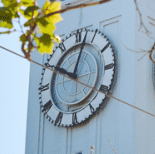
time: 10:02
